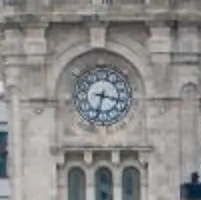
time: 3:32
